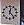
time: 12:23
